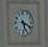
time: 5:18
